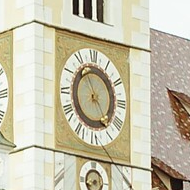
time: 4:55
